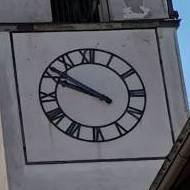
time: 9:50
